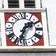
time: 1:33
